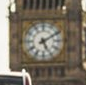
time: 5:09
